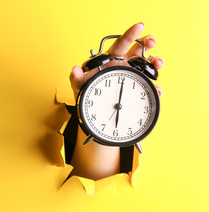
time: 6:00
